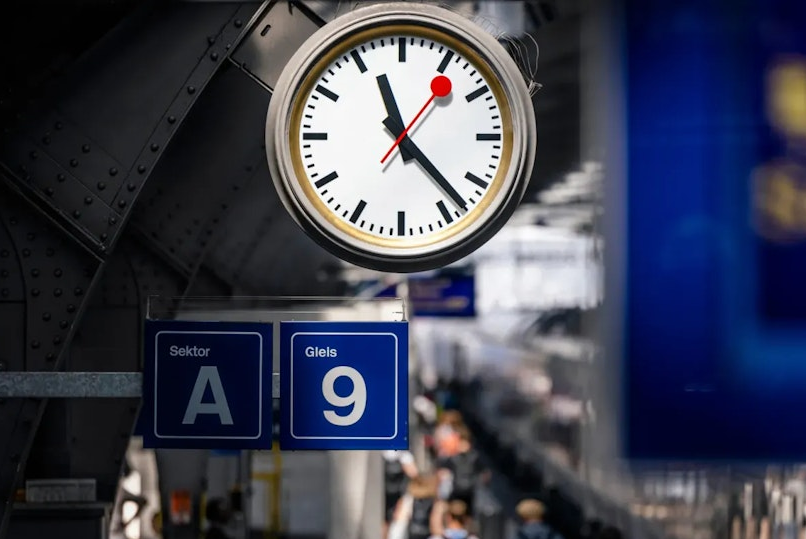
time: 11:22
